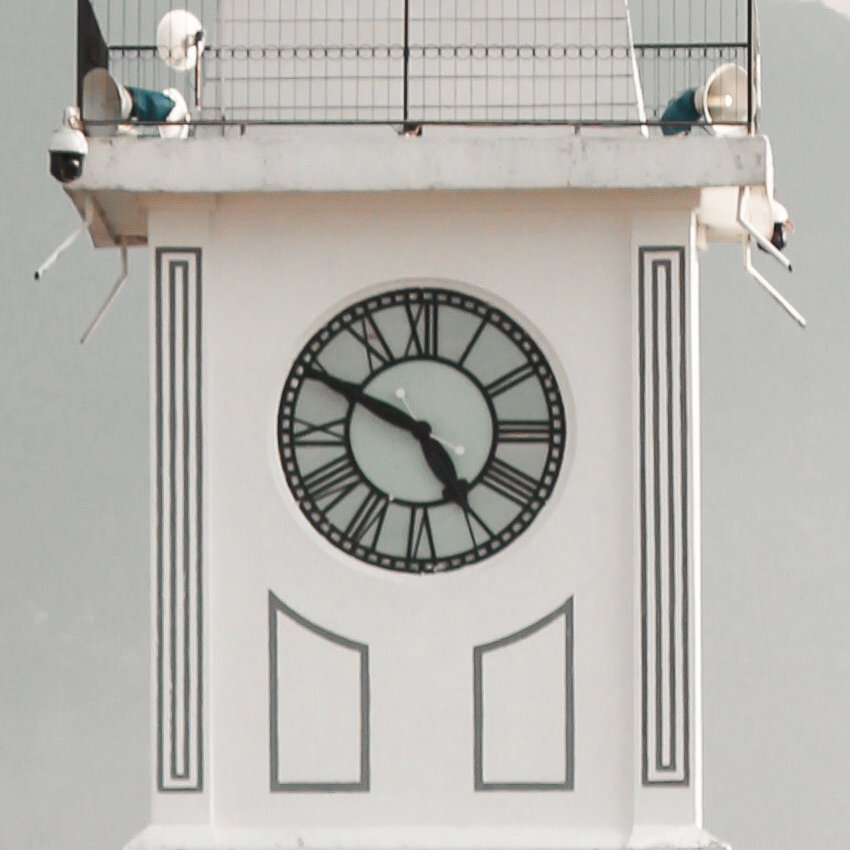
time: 4:49
